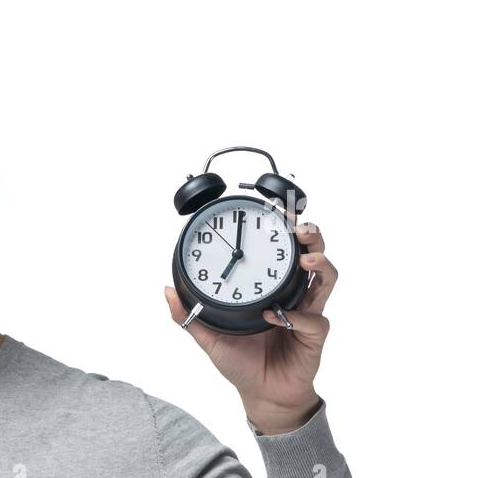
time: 7:00
